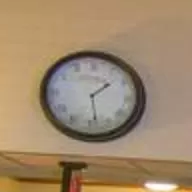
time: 1:28
